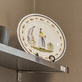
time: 5:30
